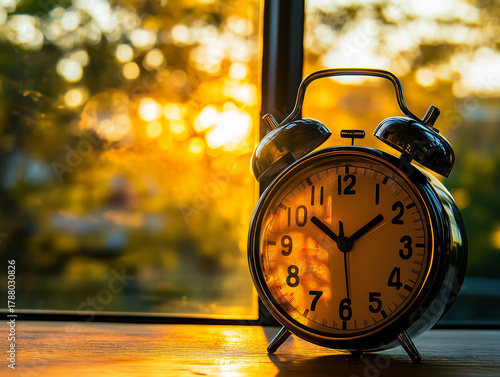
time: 1:51
